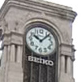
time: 10:07
